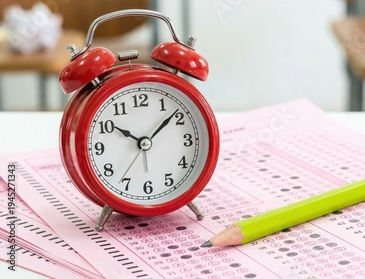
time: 10:08
